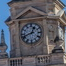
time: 12:41
